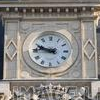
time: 9:45
